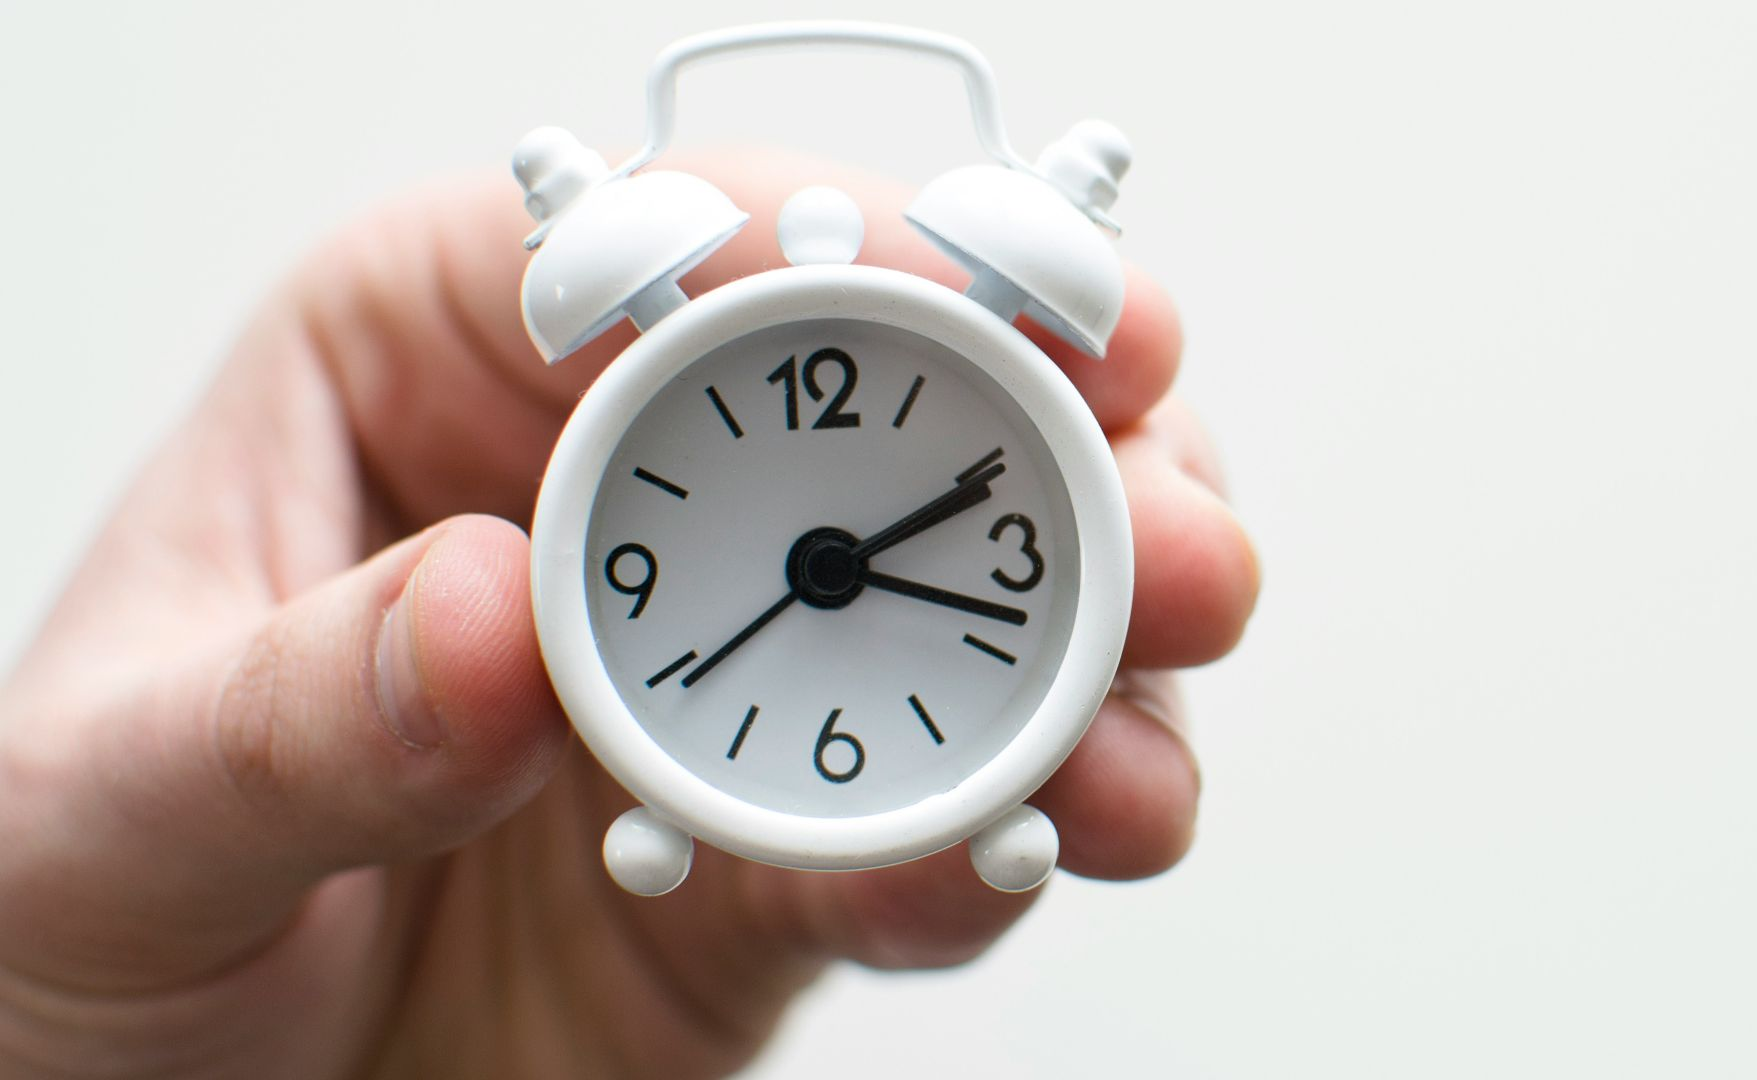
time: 2:18
